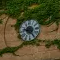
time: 9:23
